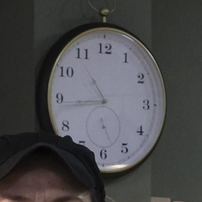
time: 10:43
